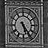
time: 5:24
